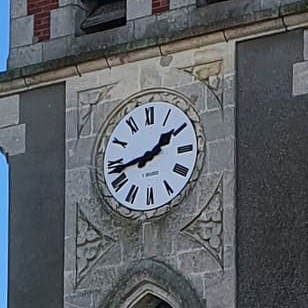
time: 1:43
